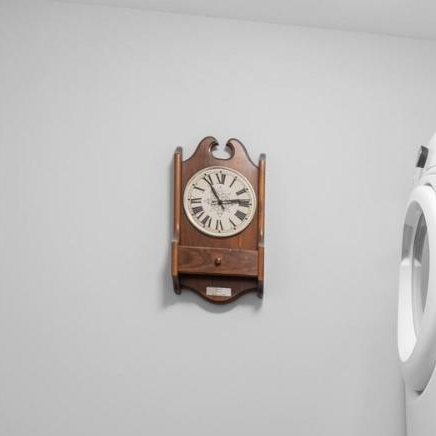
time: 11:13
